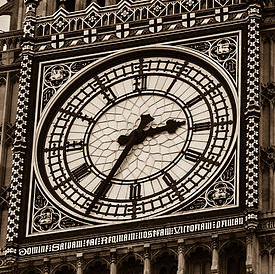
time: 2:34
